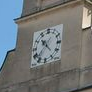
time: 10:37
